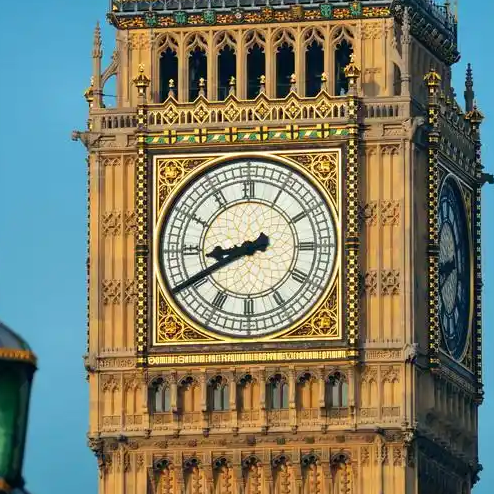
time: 8:40
